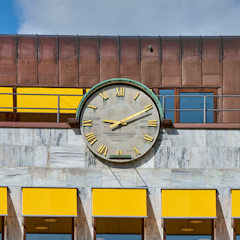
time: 2:11
